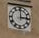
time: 2:59
